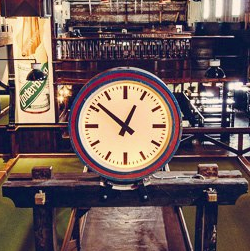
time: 12:51
